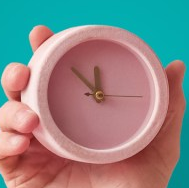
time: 11:52
